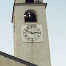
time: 2:48
